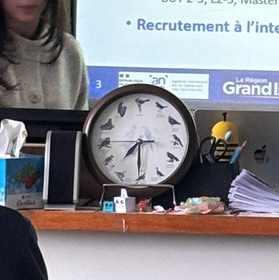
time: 7:30
